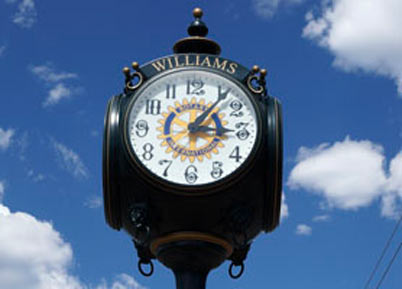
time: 3:06
